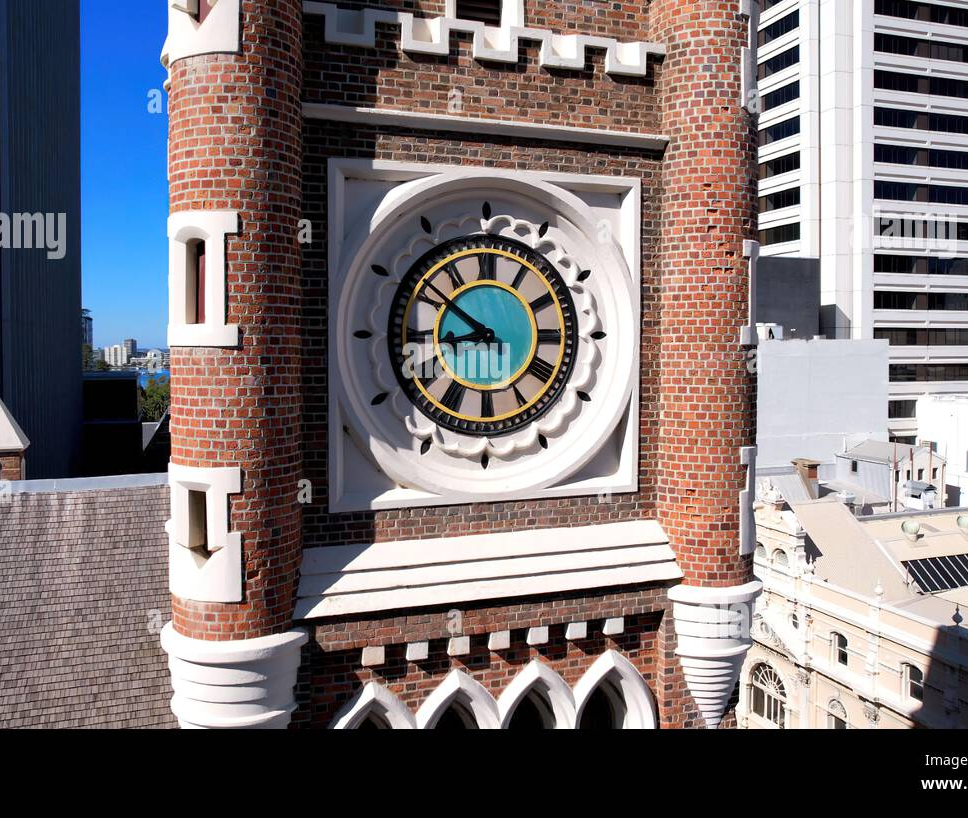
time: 8:51
